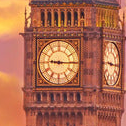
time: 9:15
